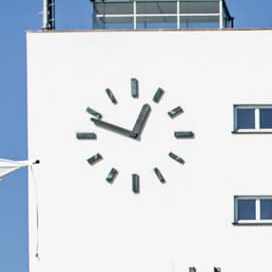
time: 12:48
